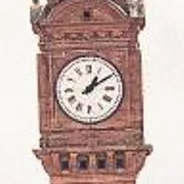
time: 1:09
